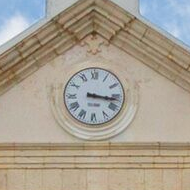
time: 3:16
